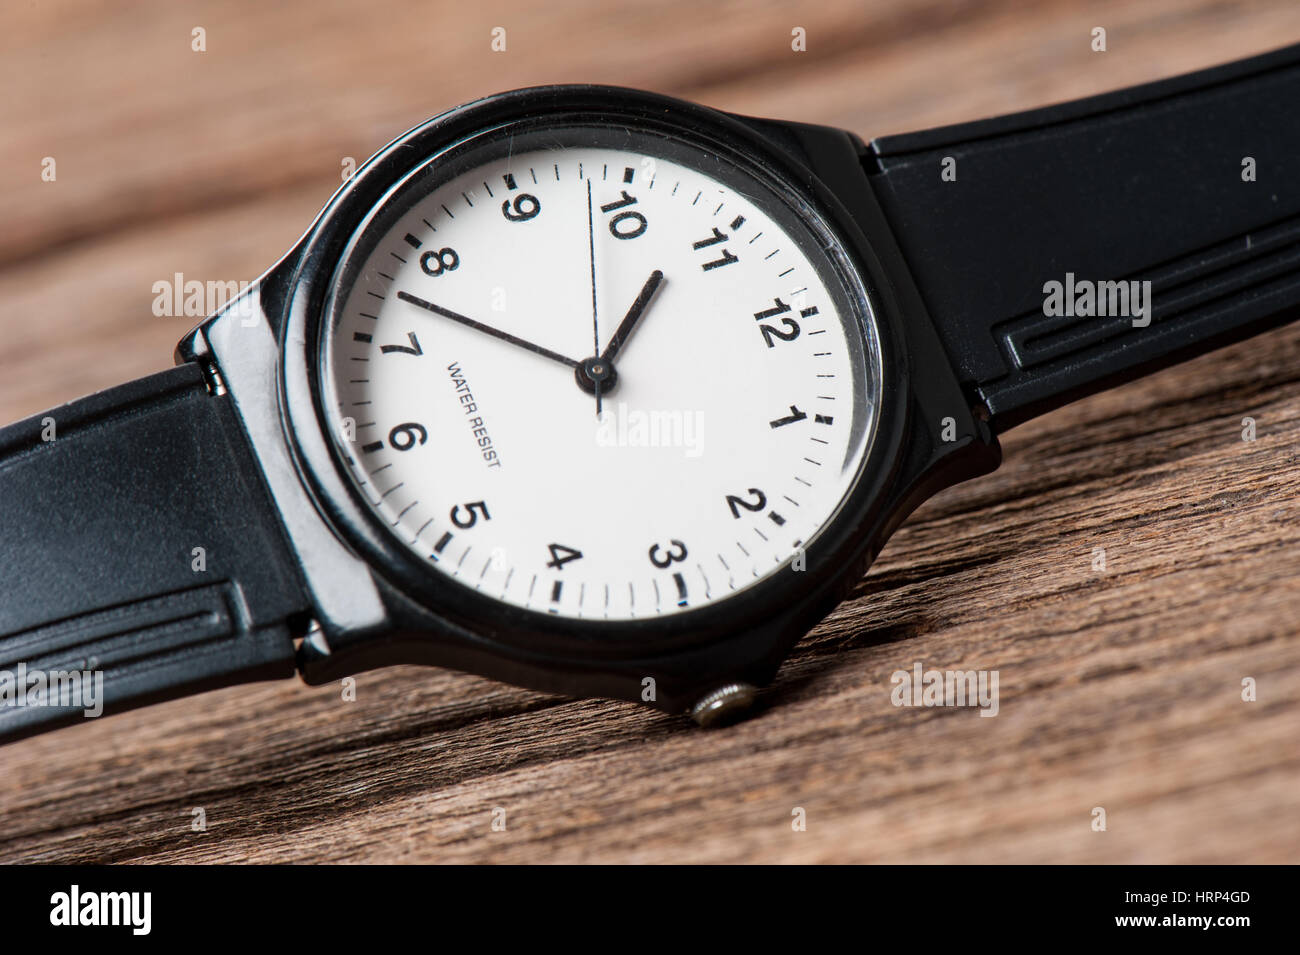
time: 12:47
